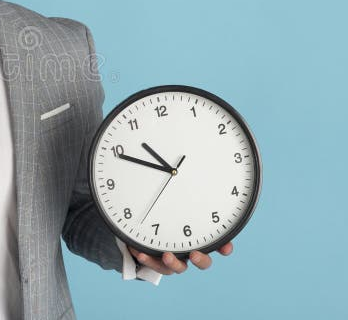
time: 10:49
